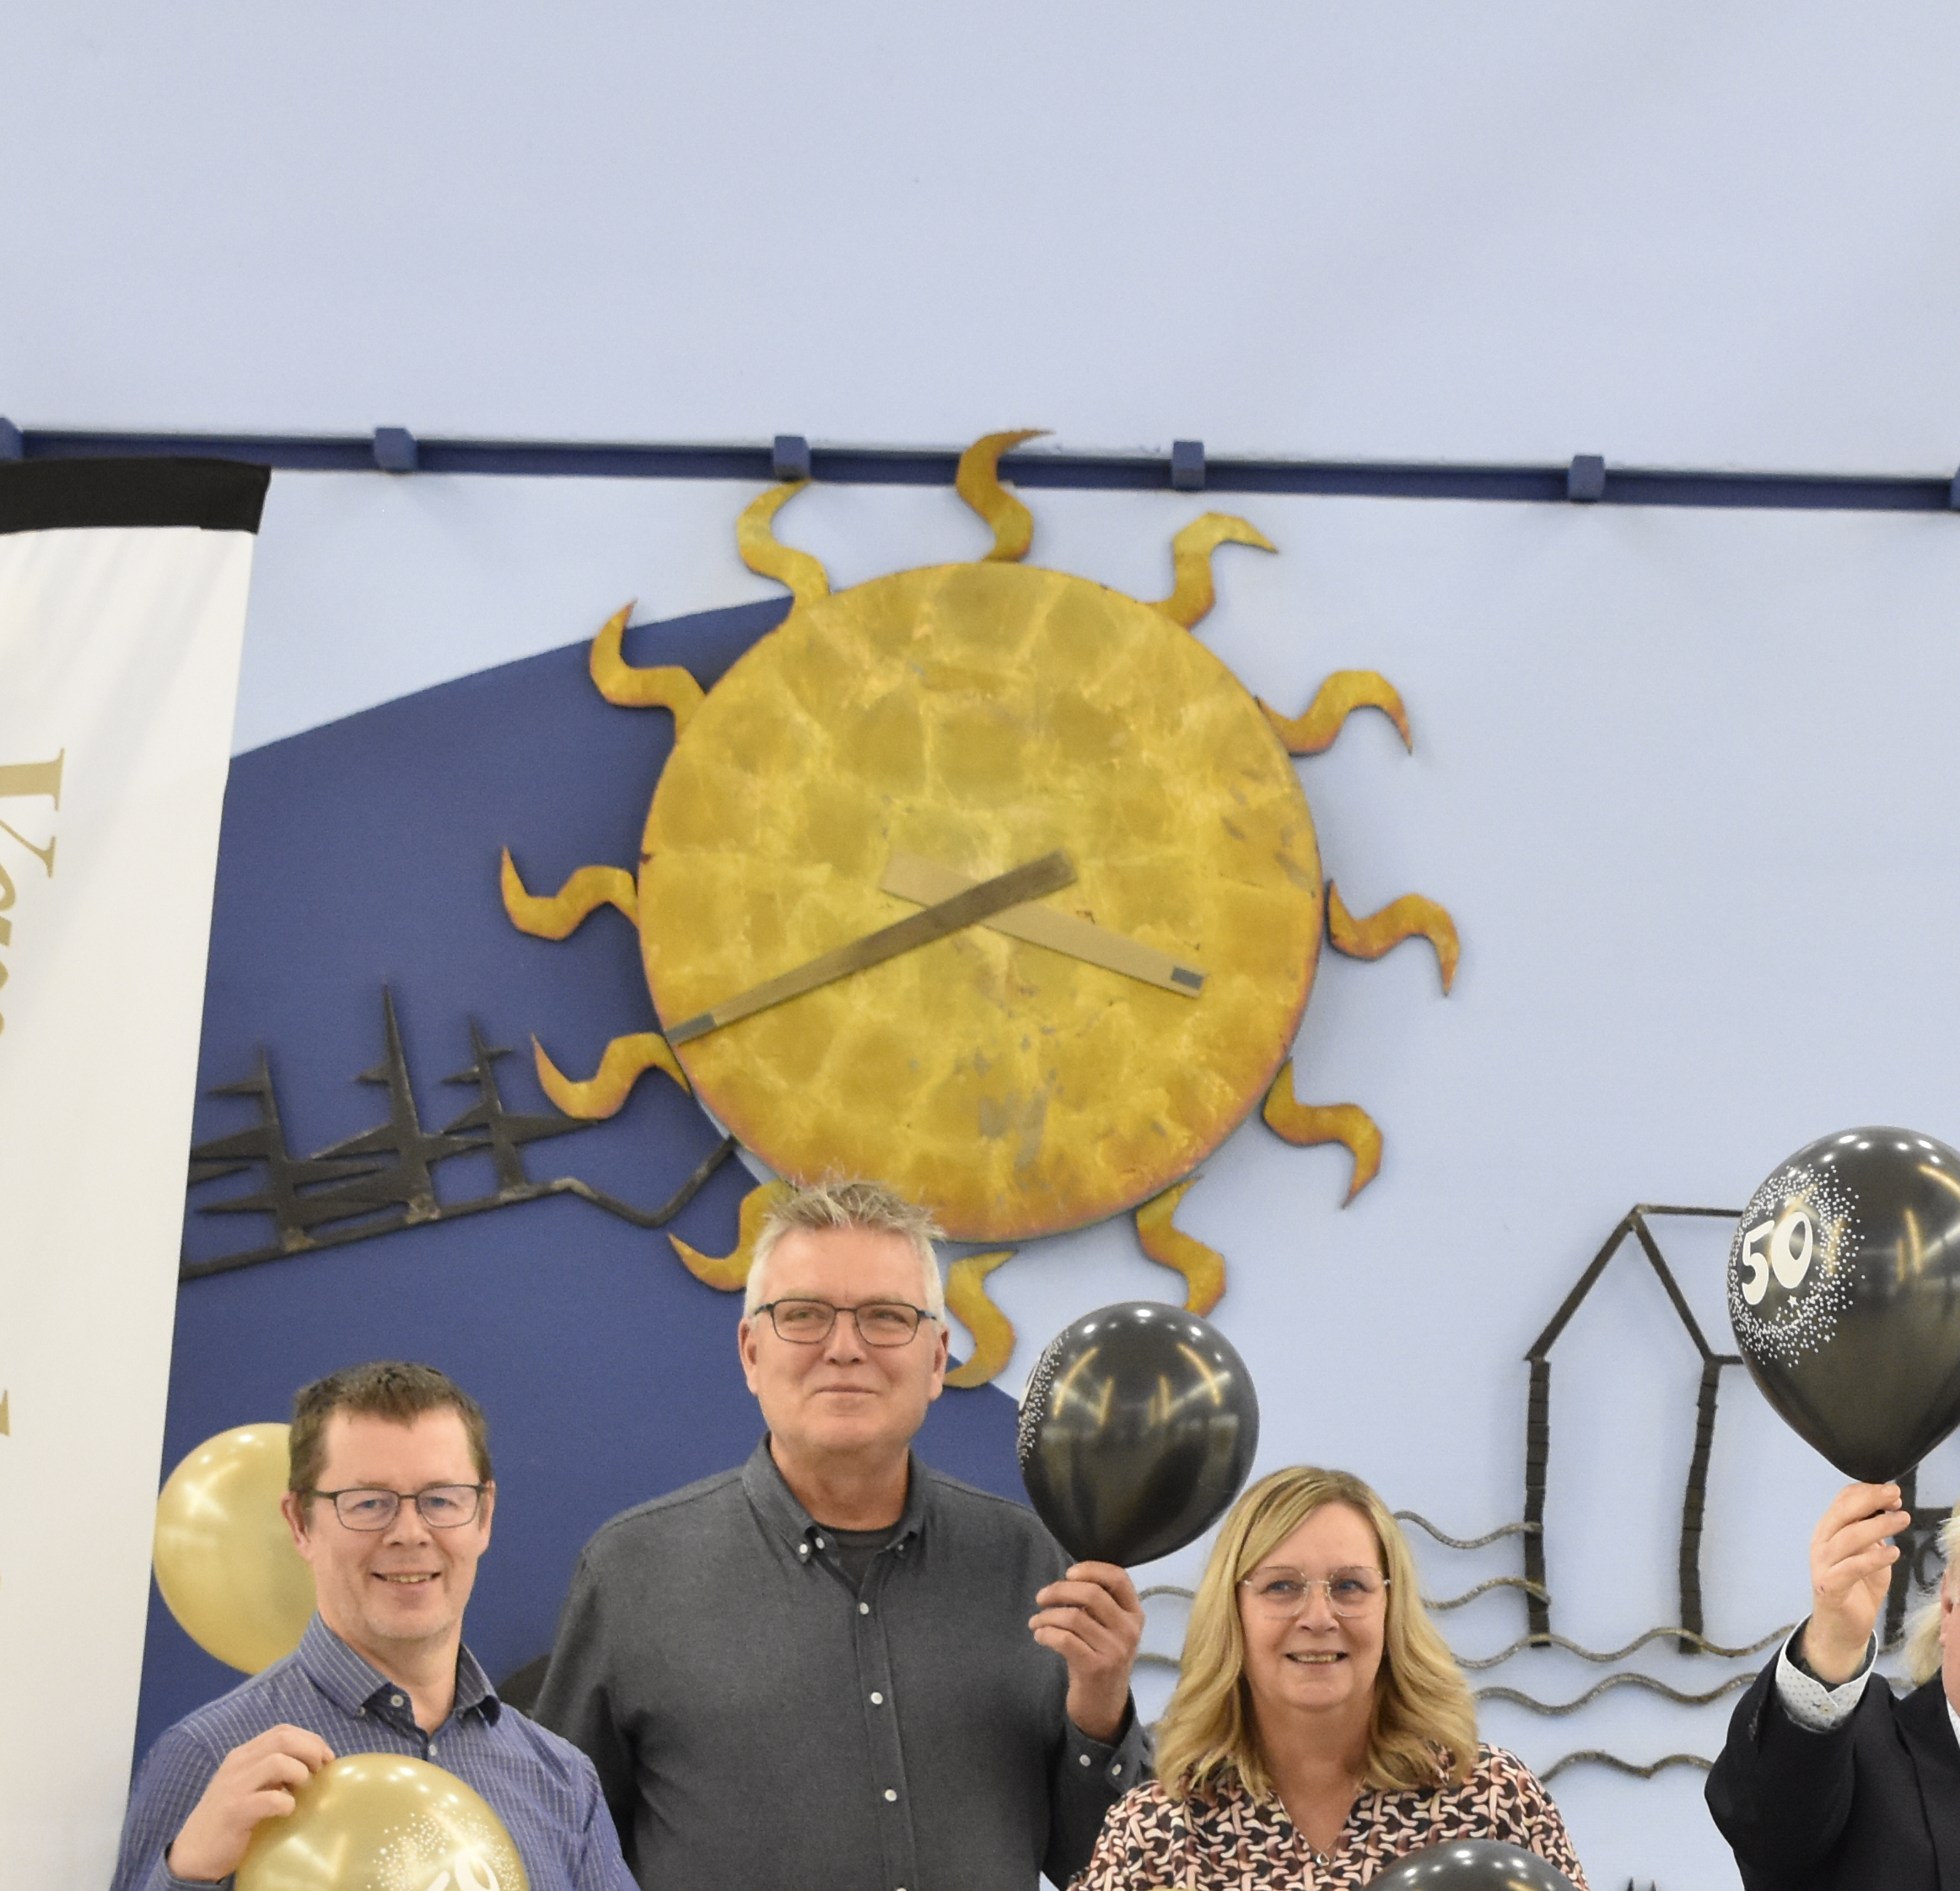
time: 3:40
